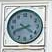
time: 8:21
